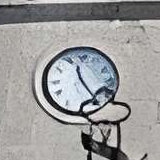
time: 11:24
